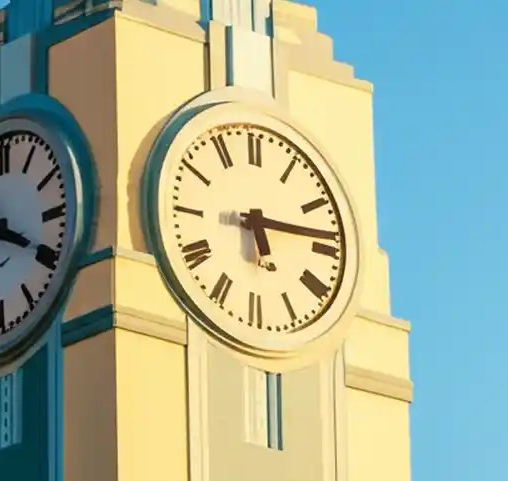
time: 5:14
